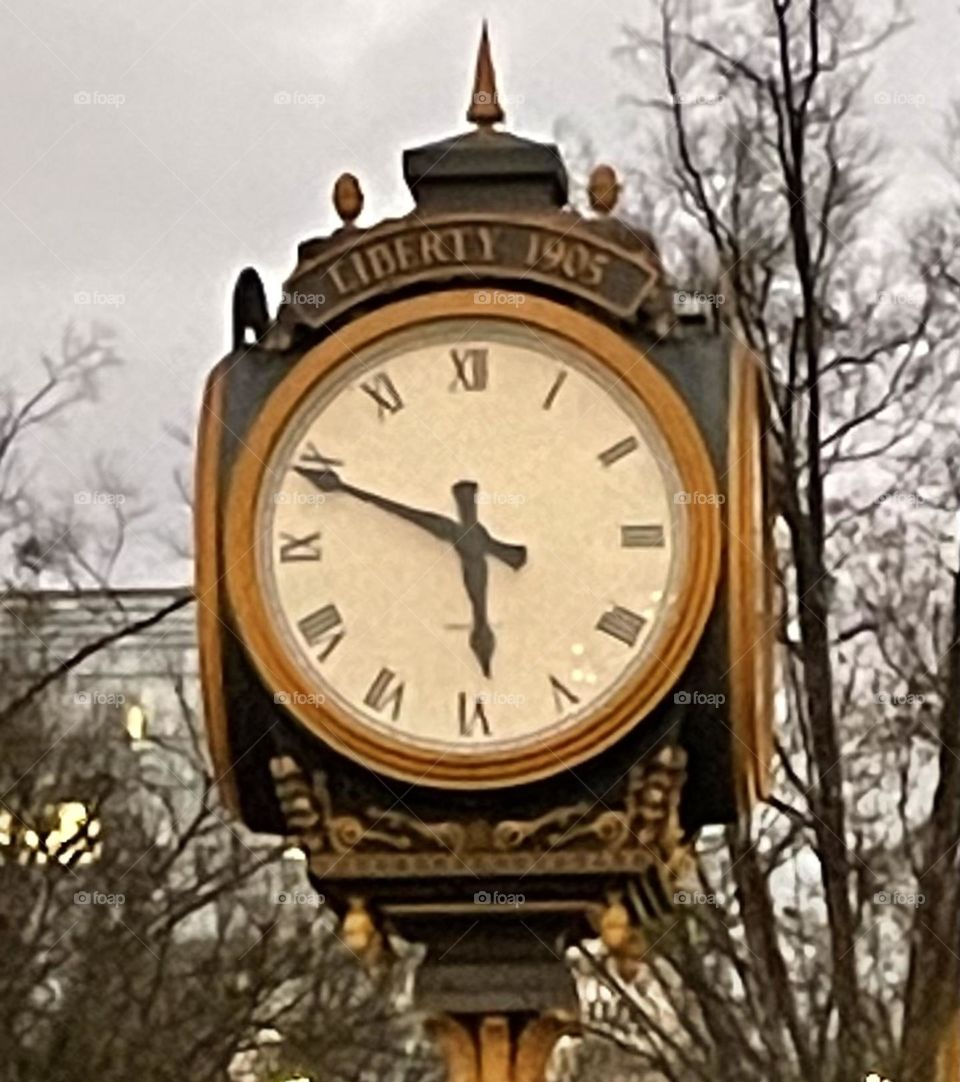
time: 5:49
